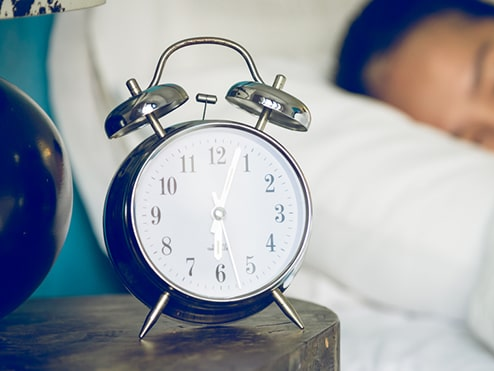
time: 6:03
